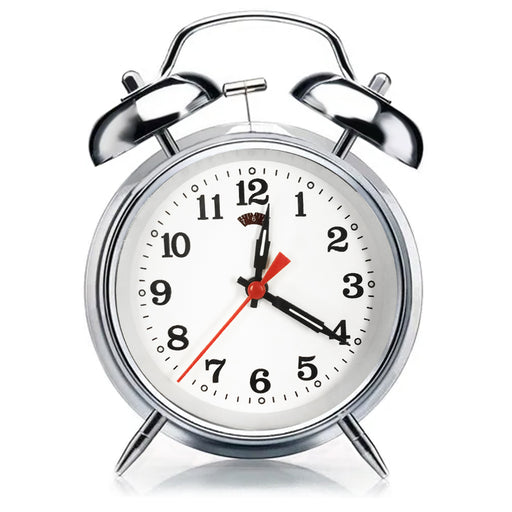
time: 12:20
